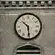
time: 10:28
